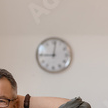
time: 9:01
